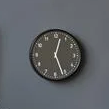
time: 12:26
